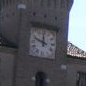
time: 11:48
